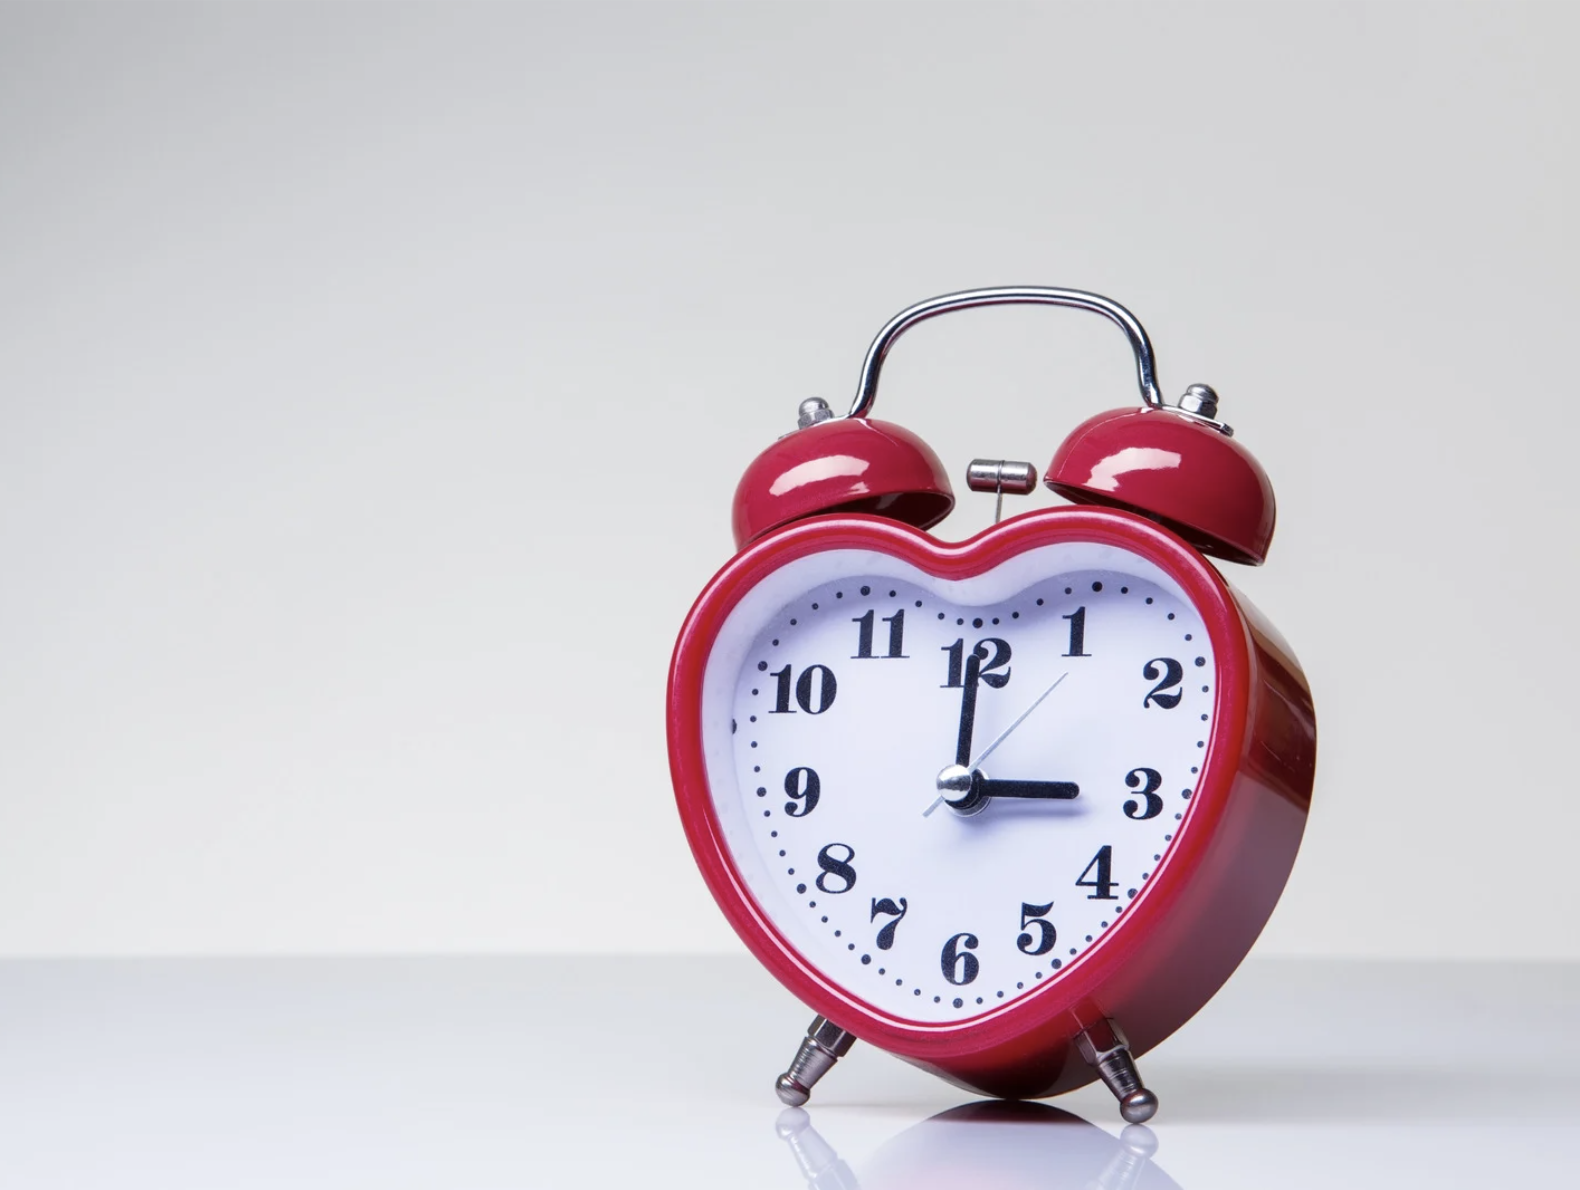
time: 3:00
